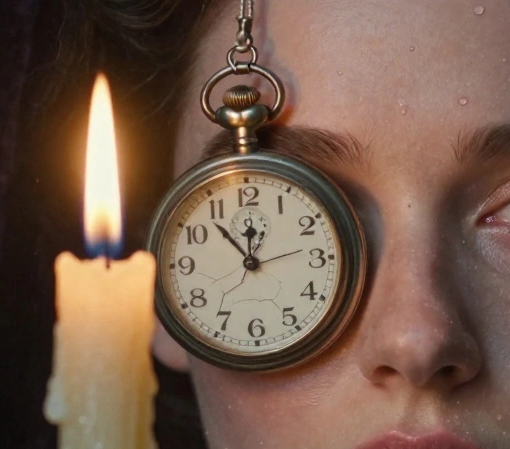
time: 11:52
